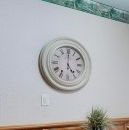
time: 5:00
